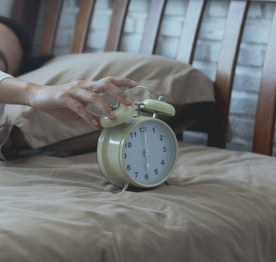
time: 6:00
